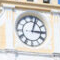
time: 3:03
